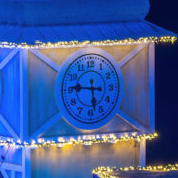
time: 5:46
